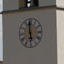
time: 5:59
